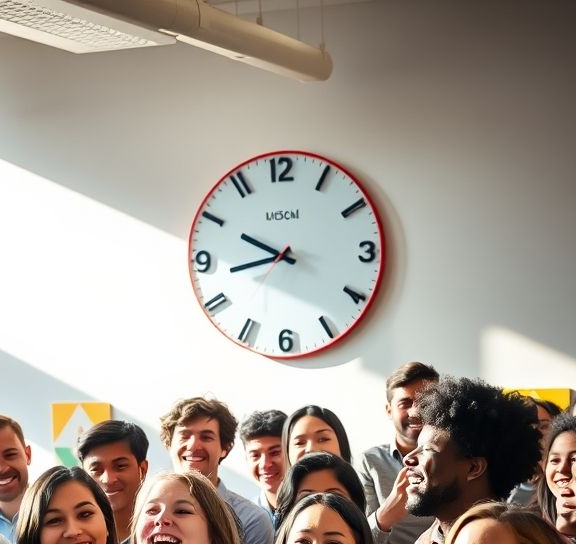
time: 8:49
